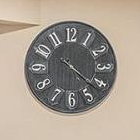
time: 4:21
